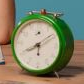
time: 8:09
